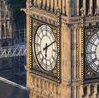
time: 6:10
